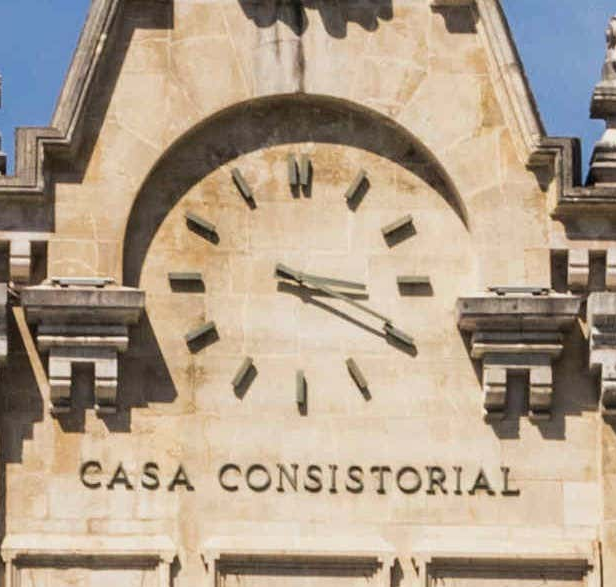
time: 3:19
